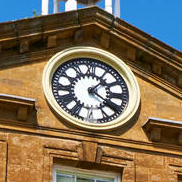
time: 1:20
